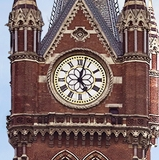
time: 5:02
